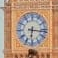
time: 6:16
